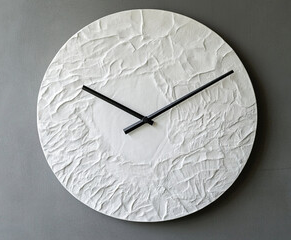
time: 10:11
